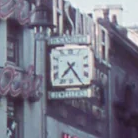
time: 7:24
